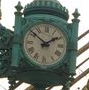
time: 1:51
